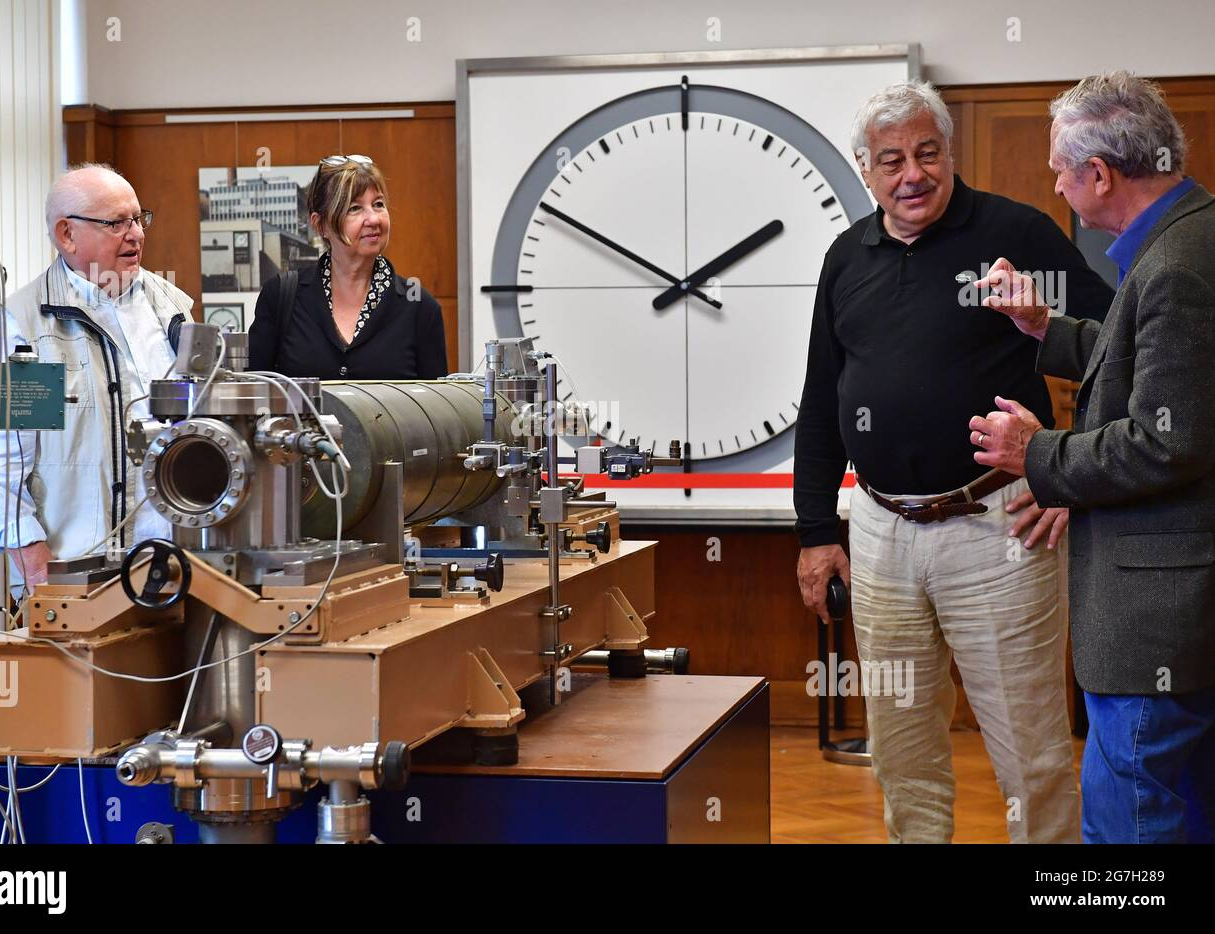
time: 1:50
